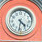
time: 4:31
